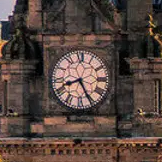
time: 8:25
